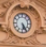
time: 5:24
